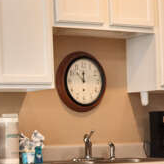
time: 11:52
